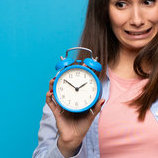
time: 1:51
